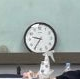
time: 9:35
